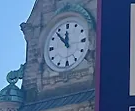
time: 11:53
